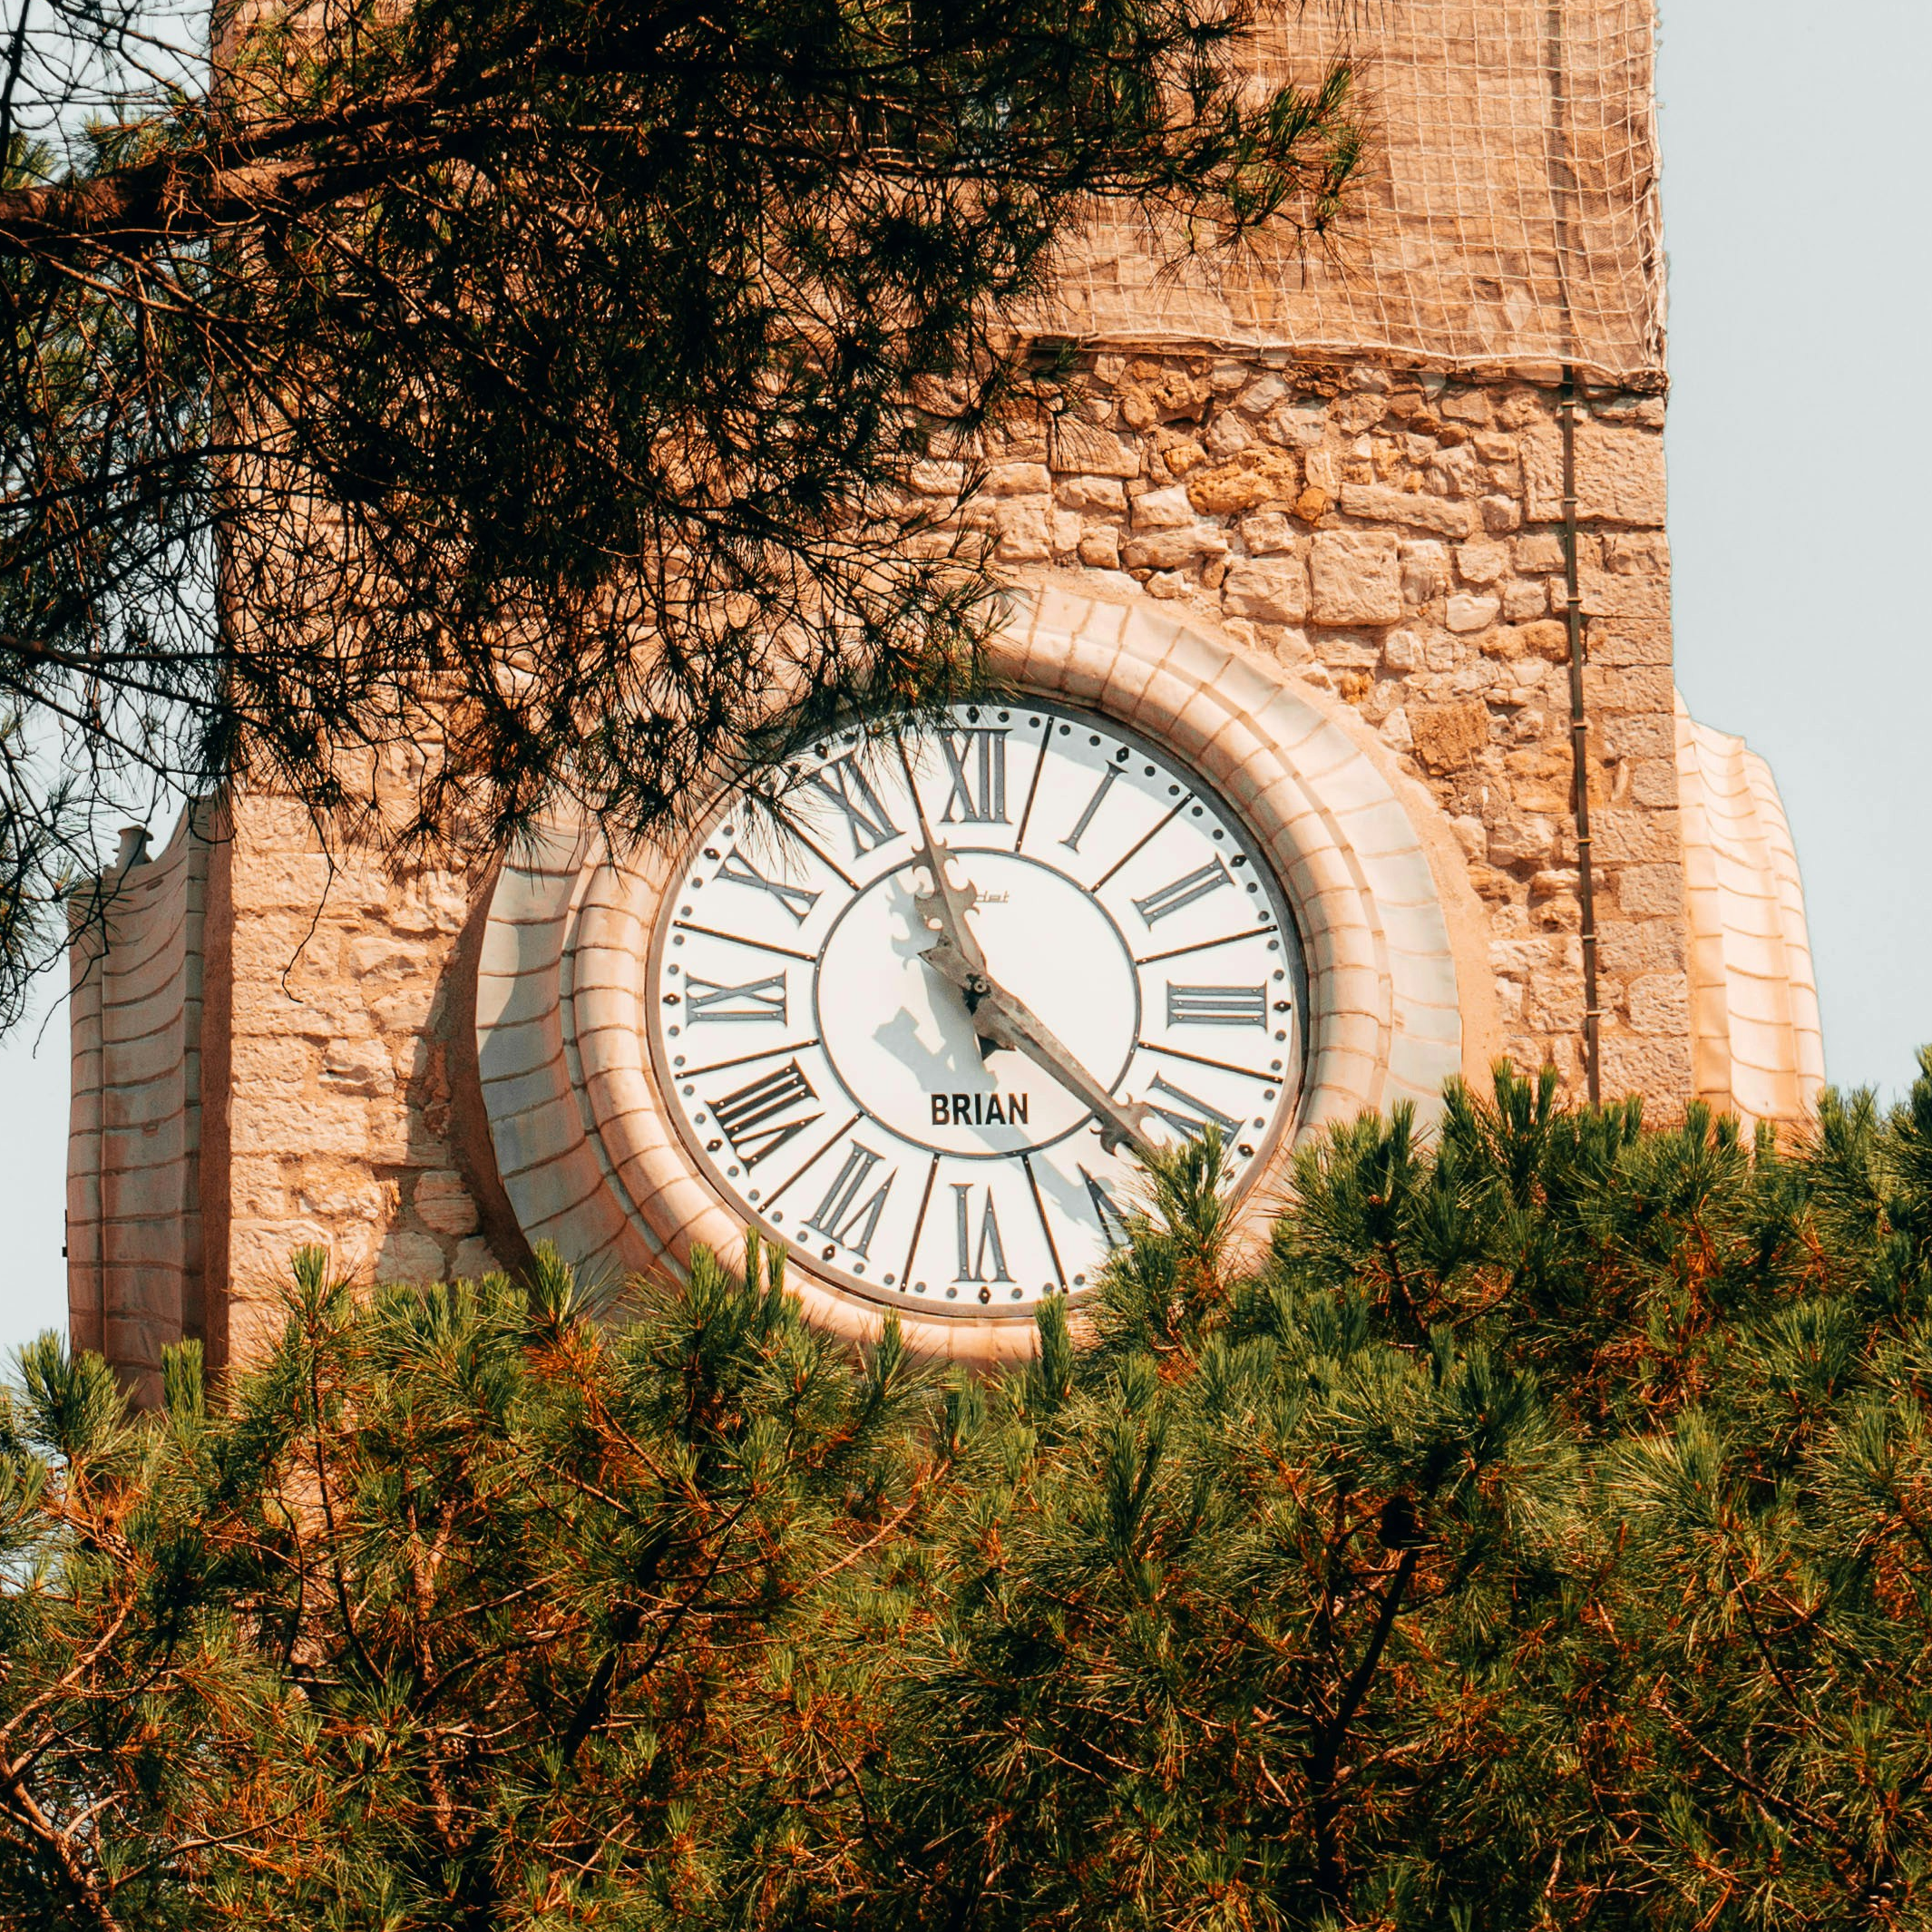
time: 11:21
